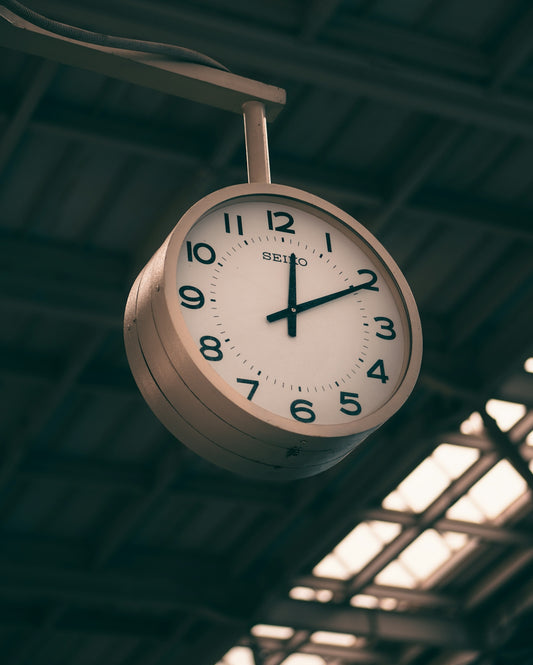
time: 12:10
